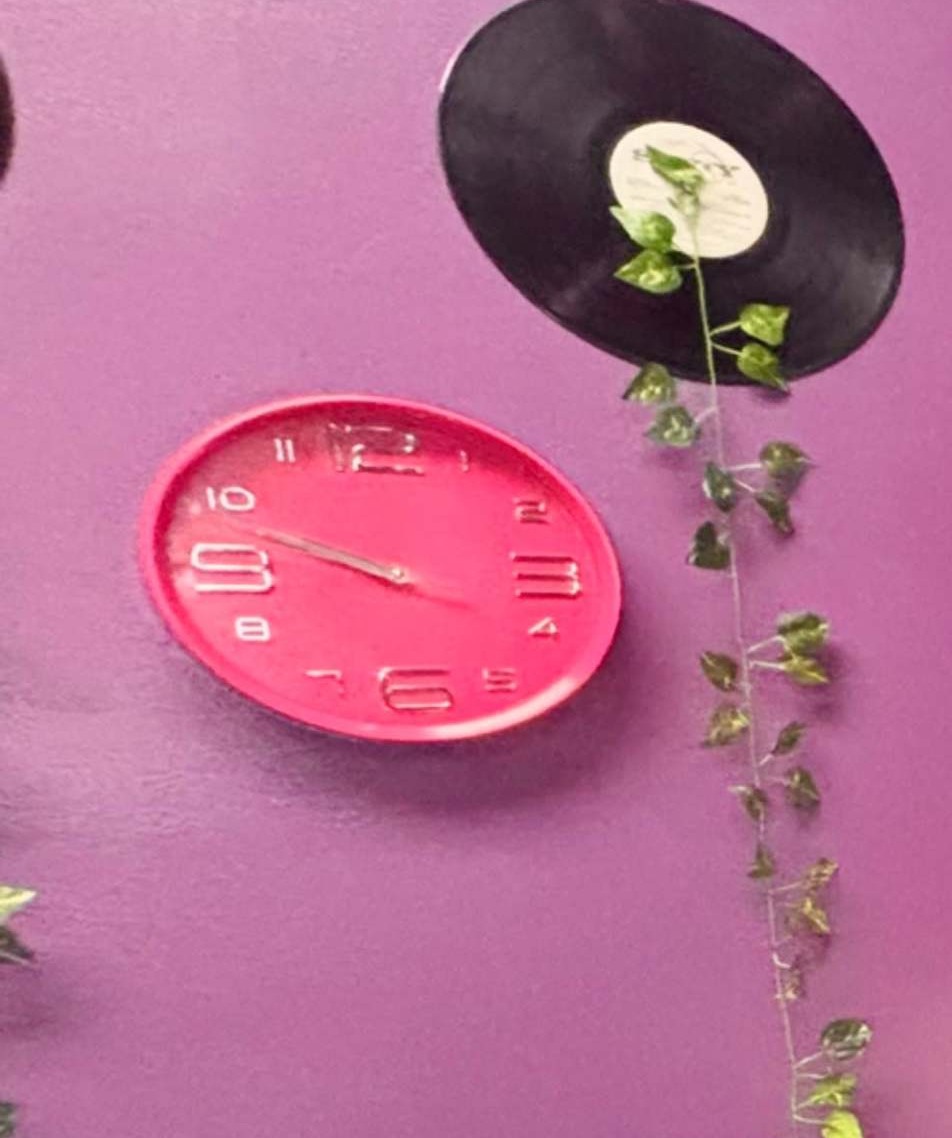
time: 9:48
